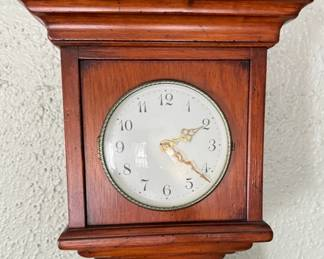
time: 2:21
